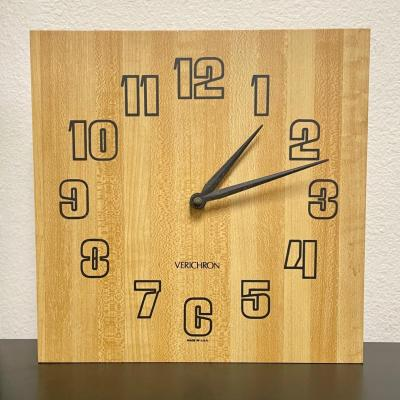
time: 1:12
